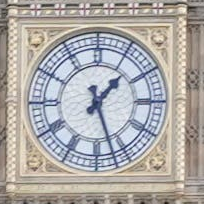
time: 1:26
